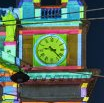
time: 9:22
